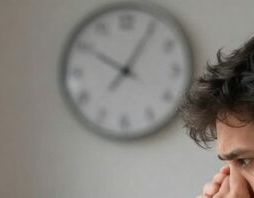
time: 10:05
